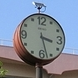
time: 3:27
